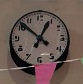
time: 12:51
